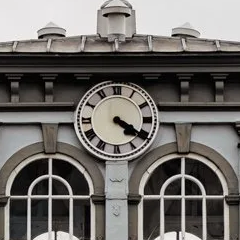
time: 4:20
